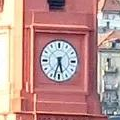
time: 5:33
